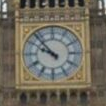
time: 9:53
